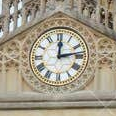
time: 12:13
